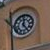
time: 12:23
